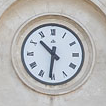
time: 10:31
